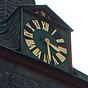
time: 3:28
